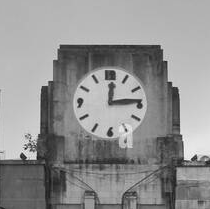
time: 12:13
